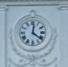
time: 12:21
